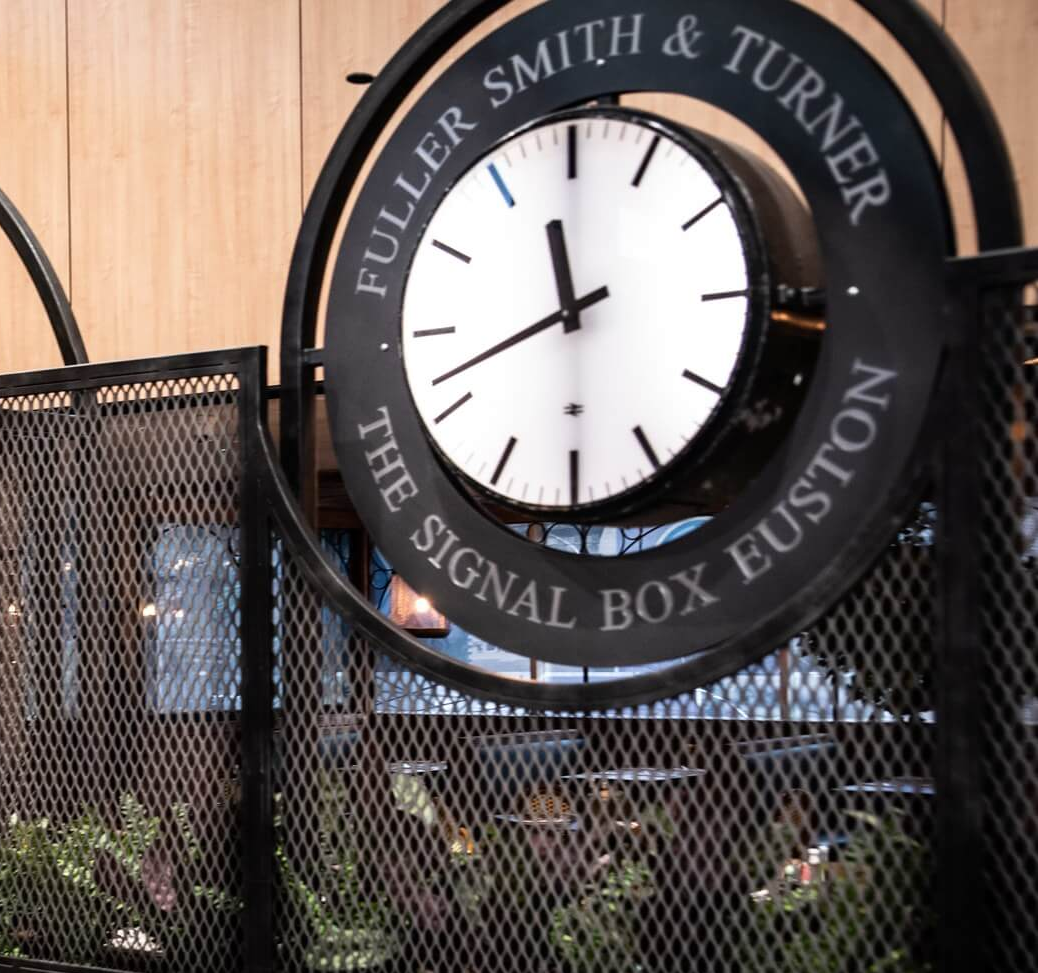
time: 11:41
